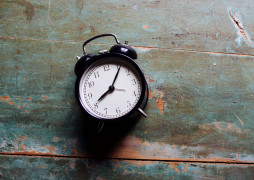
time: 8:06
